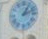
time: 1:11
